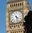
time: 4:28
